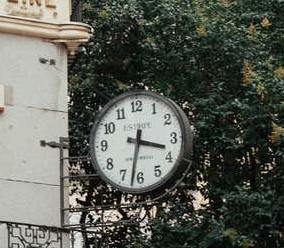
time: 3:32
